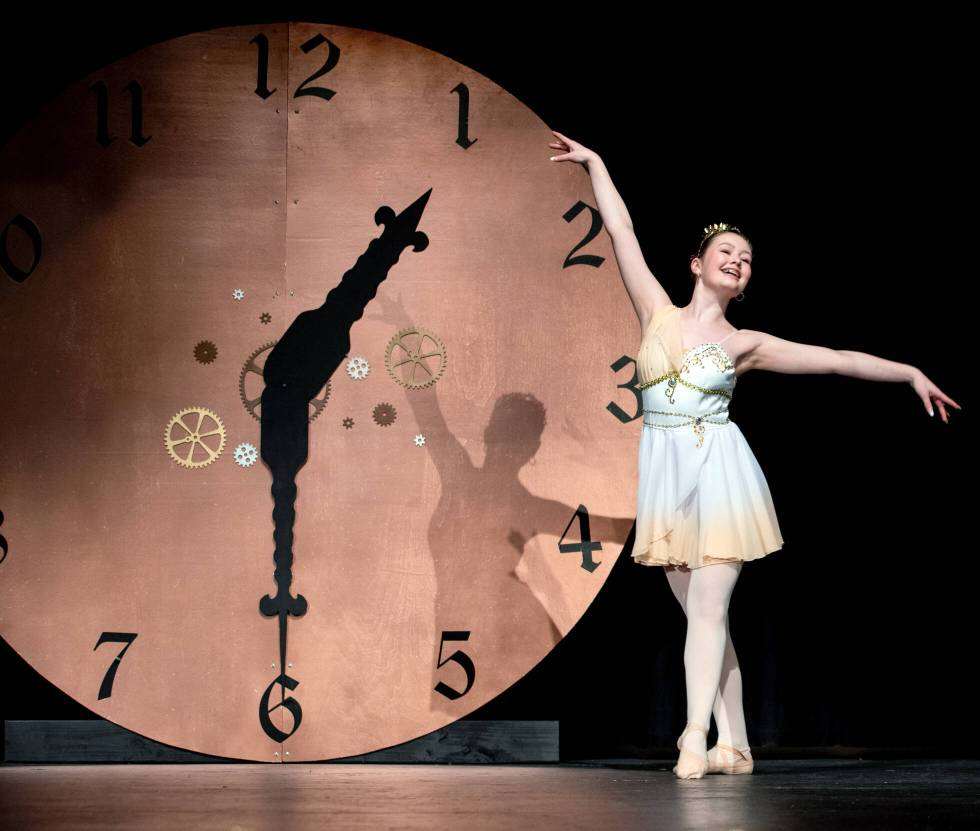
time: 1:29
